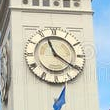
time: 11:20
